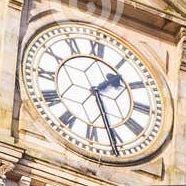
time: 1:26
